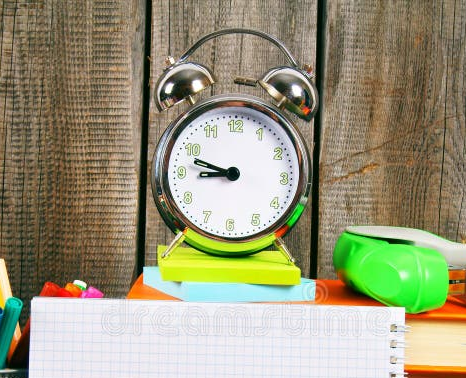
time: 8:47
